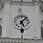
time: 5:06
